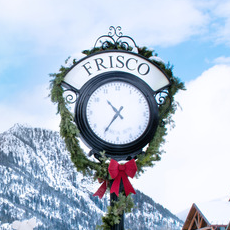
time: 10:35
